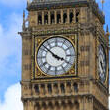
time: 3:52
